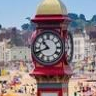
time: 10:41
